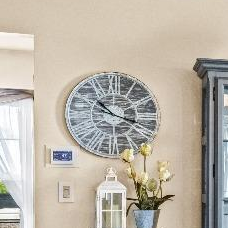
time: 10:17
